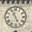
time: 11:25
